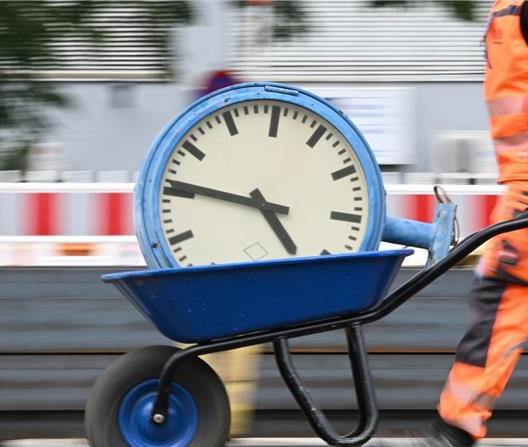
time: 4:46
